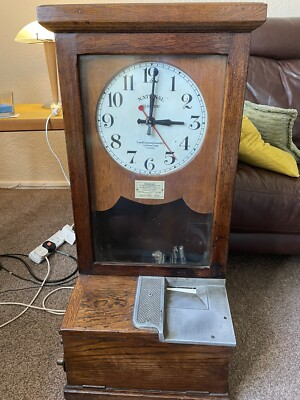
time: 3:01
